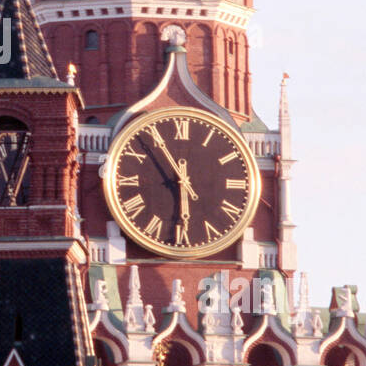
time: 5:54
